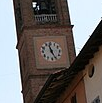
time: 11:25
